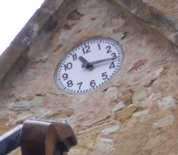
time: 11:16
